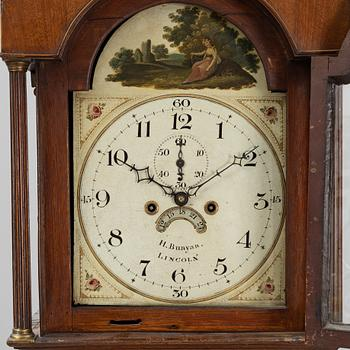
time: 10:00
